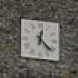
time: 12:22
